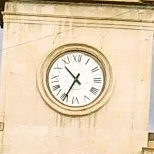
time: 10:34
